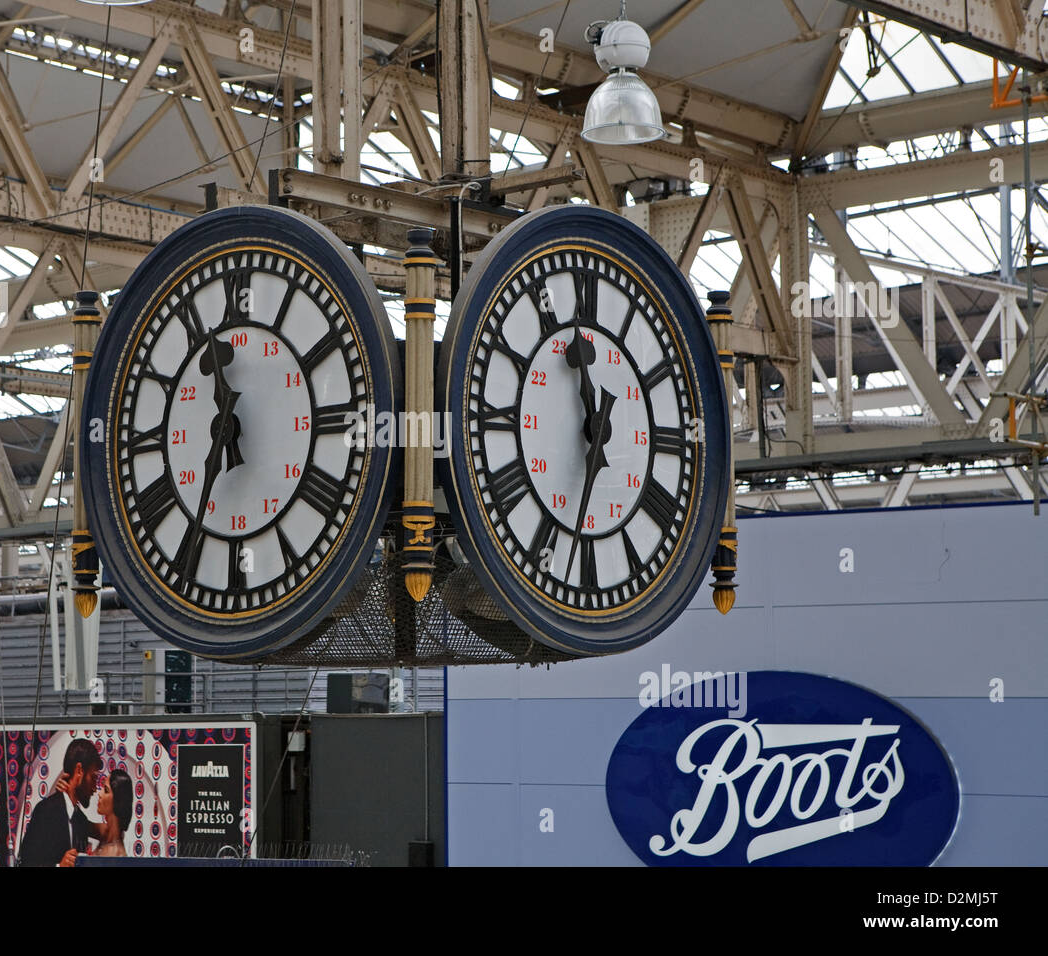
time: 11:32
